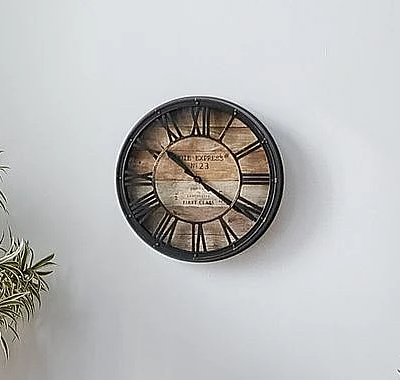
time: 10:20
